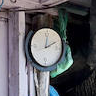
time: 12:11
